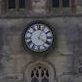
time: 4:04
